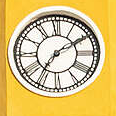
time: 7:09
